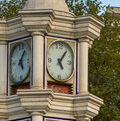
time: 5:06
